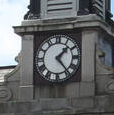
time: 1:23
